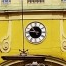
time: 10:45
